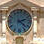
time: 2:21
